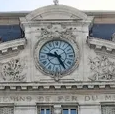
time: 9:25
